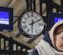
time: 6:10
